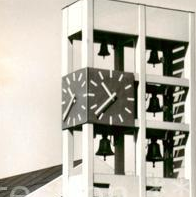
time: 10:37
